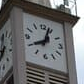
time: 8:03
